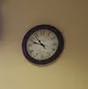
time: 10:48
